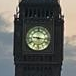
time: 9:16
